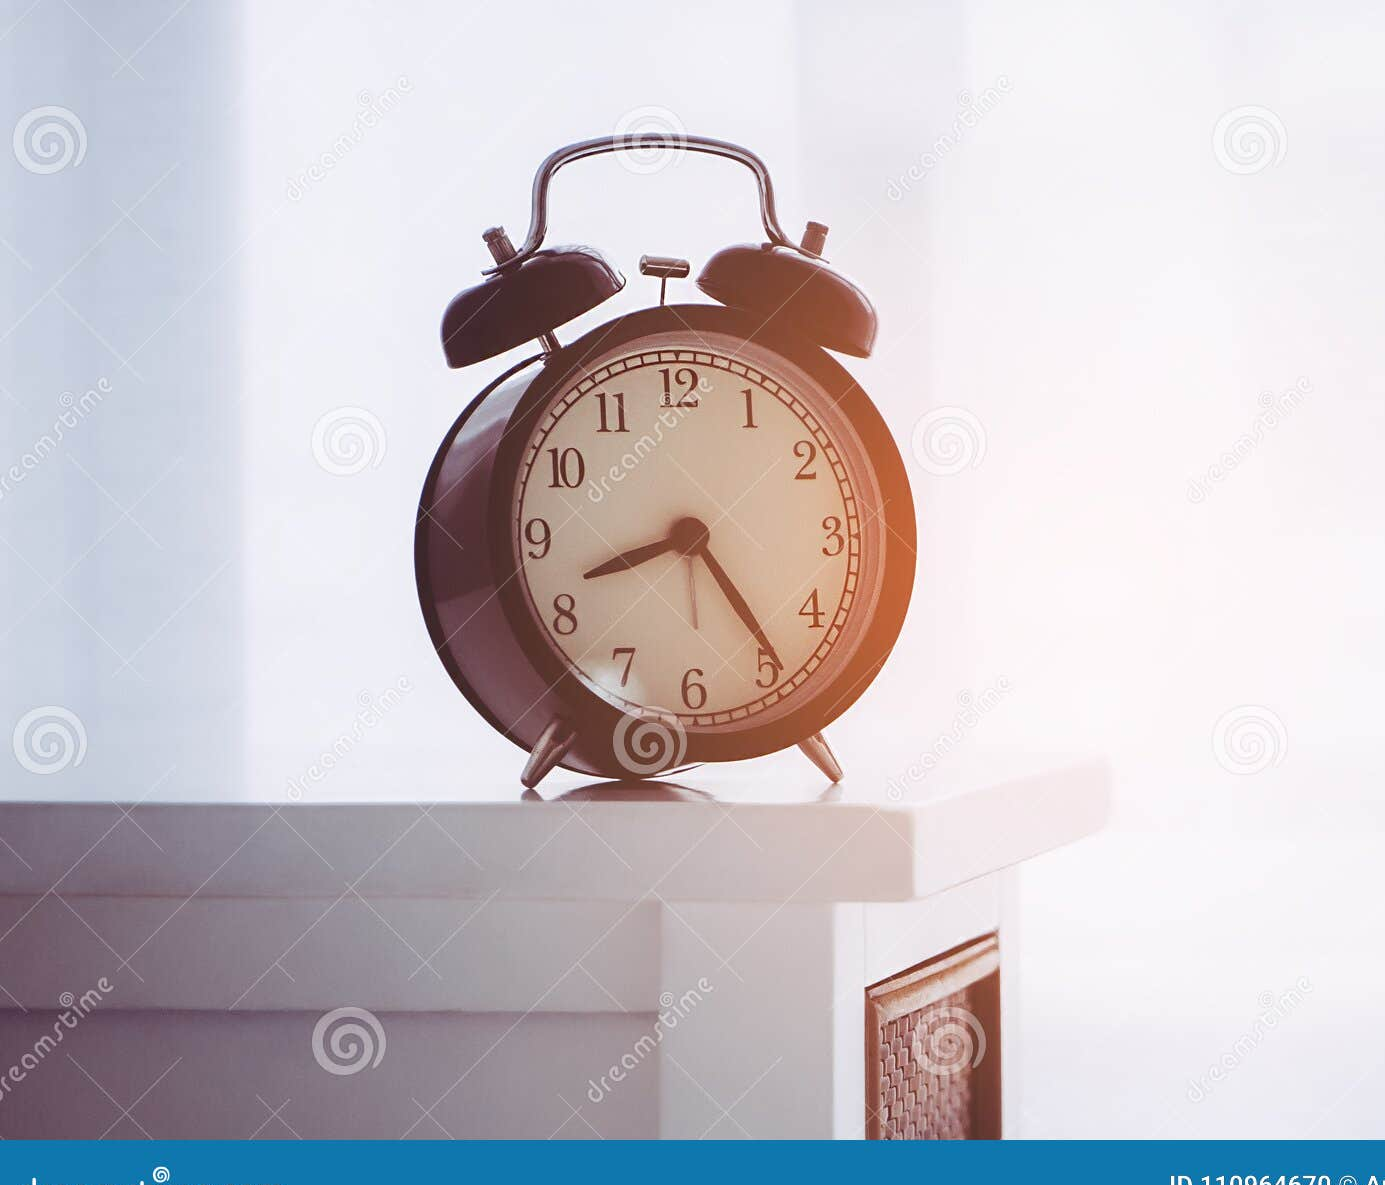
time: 8:23
